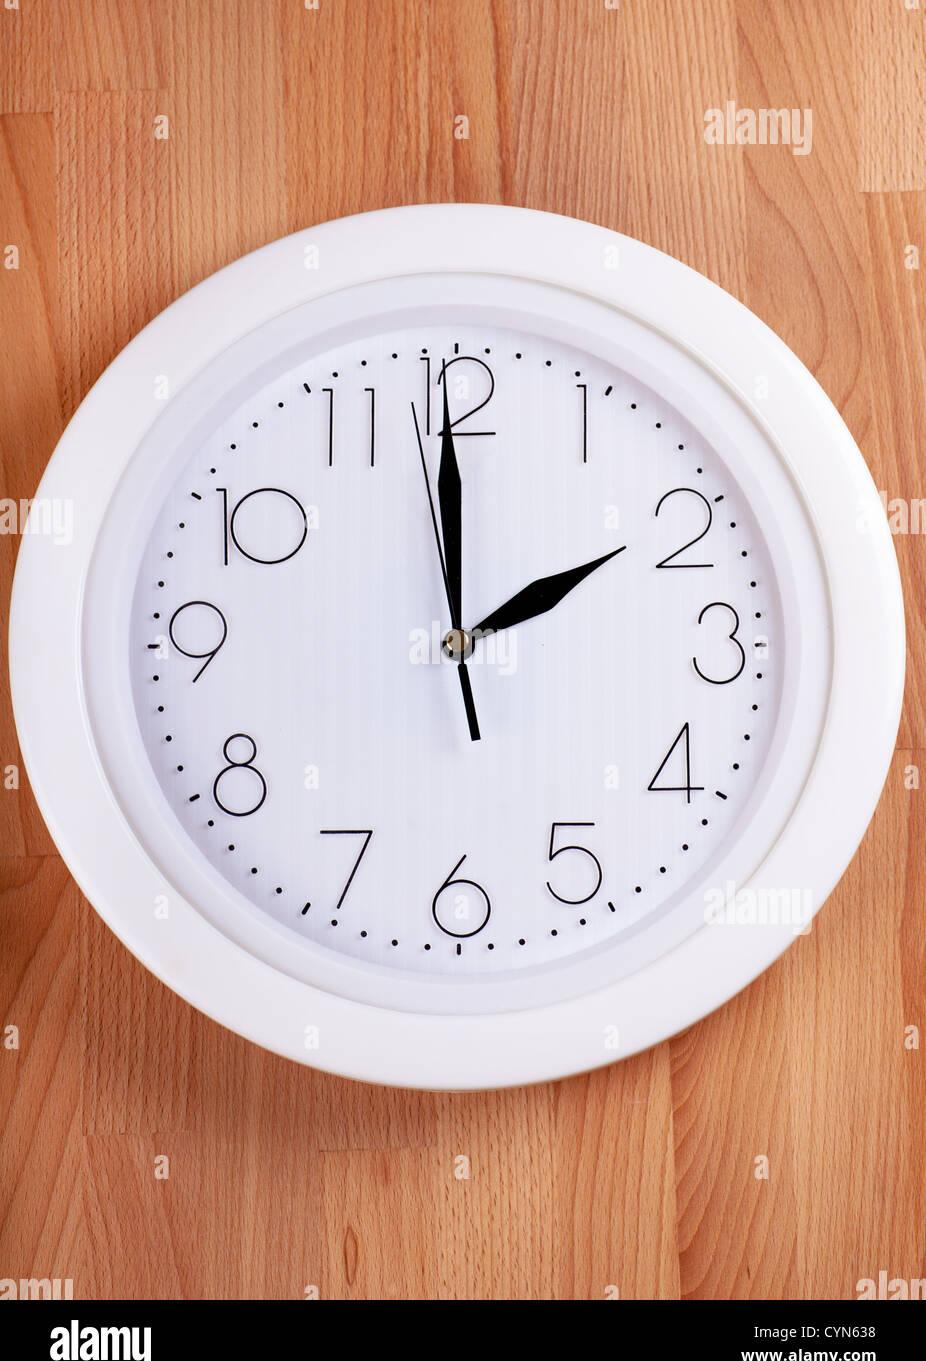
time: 1:59
